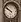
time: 9:50
